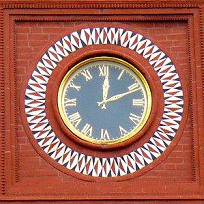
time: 12:11
